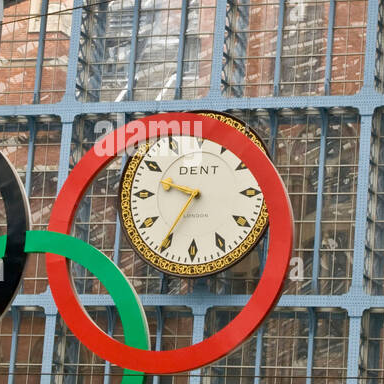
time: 9:35
